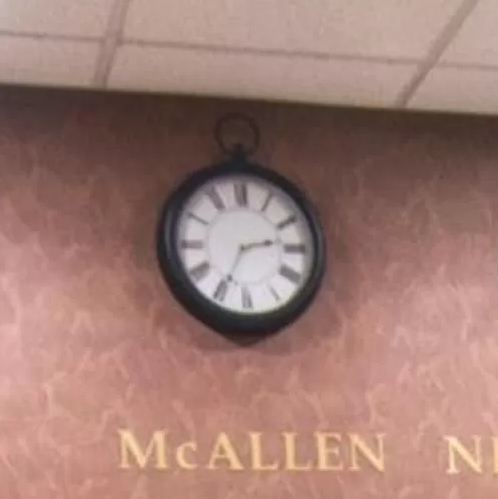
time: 2:34
